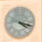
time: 4:18
